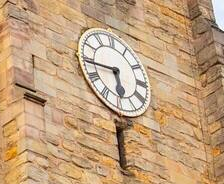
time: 5:44
